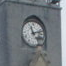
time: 11:12
